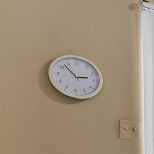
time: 2:52
